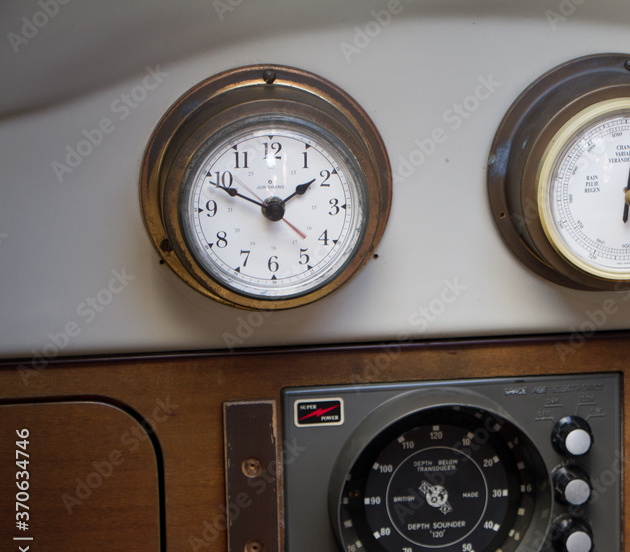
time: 1:49
